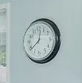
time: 12:38
